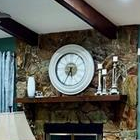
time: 5:34
